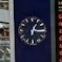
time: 1:16
